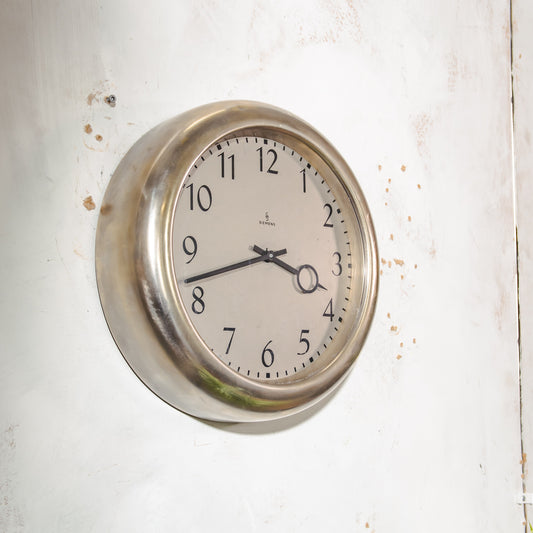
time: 3:41
